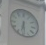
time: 6:29
